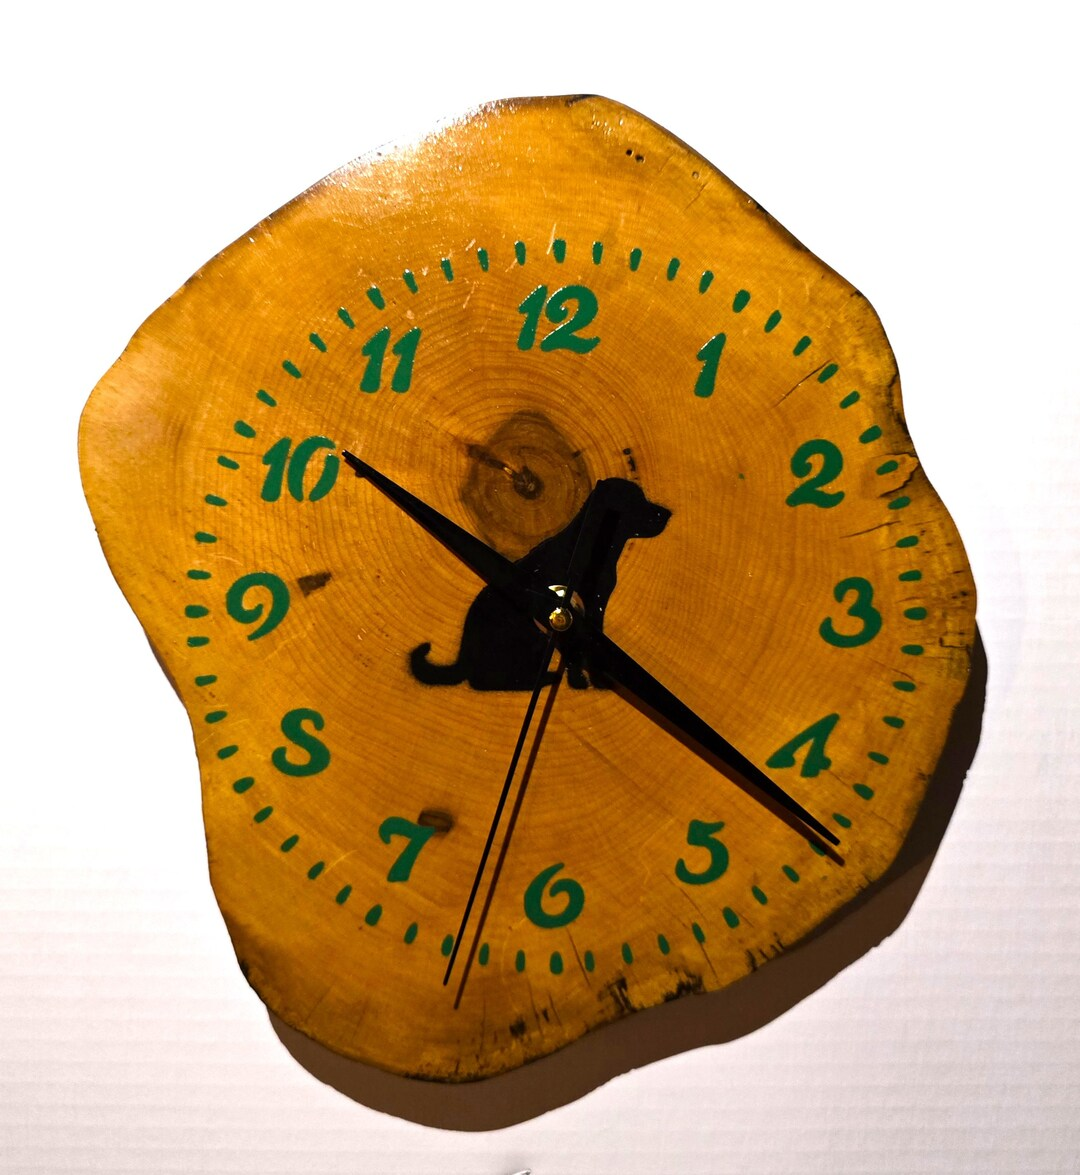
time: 1:21
